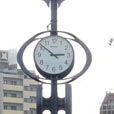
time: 2:51
